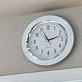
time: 11:12
